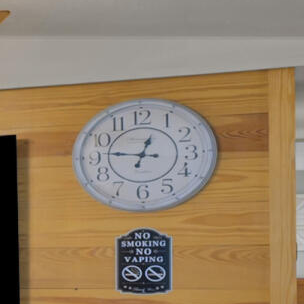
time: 12:46
